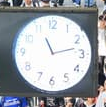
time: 11:12
